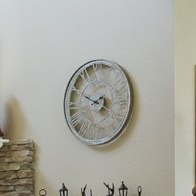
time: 9:49
